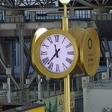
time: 11:36
